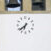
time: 6:38
